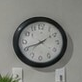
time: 7:41
